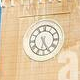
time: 6:25
